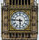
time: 5:46
